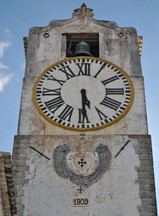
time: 5:29
